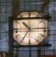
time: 10:34
